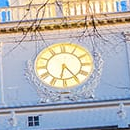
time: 6:23
